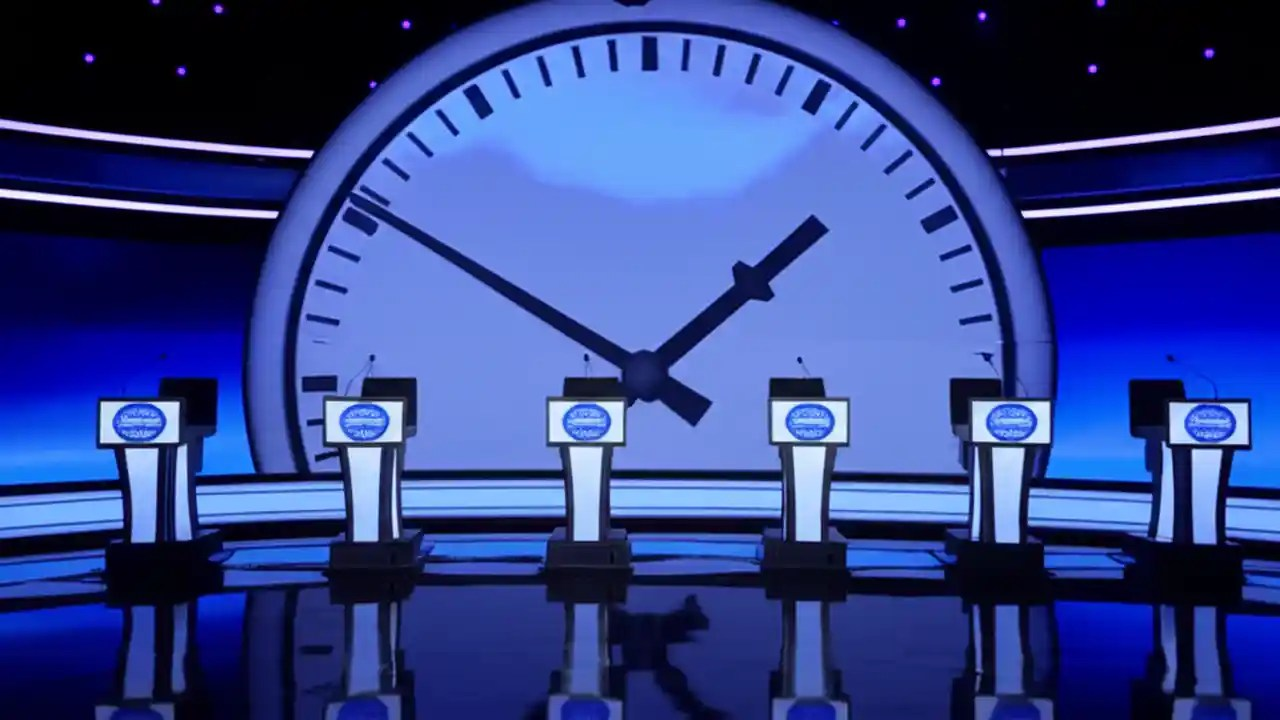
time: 1:50
